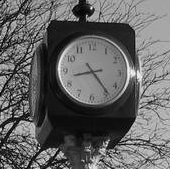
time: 8:23
